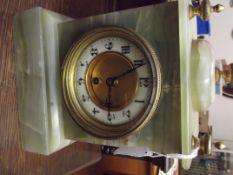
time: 6:10
